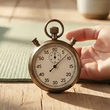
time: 12:07
